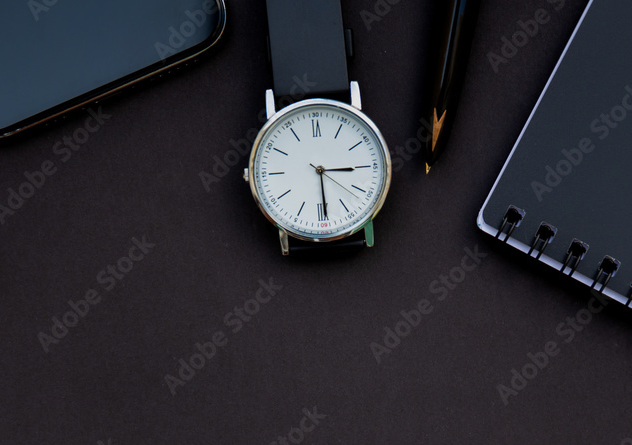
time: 3:29
